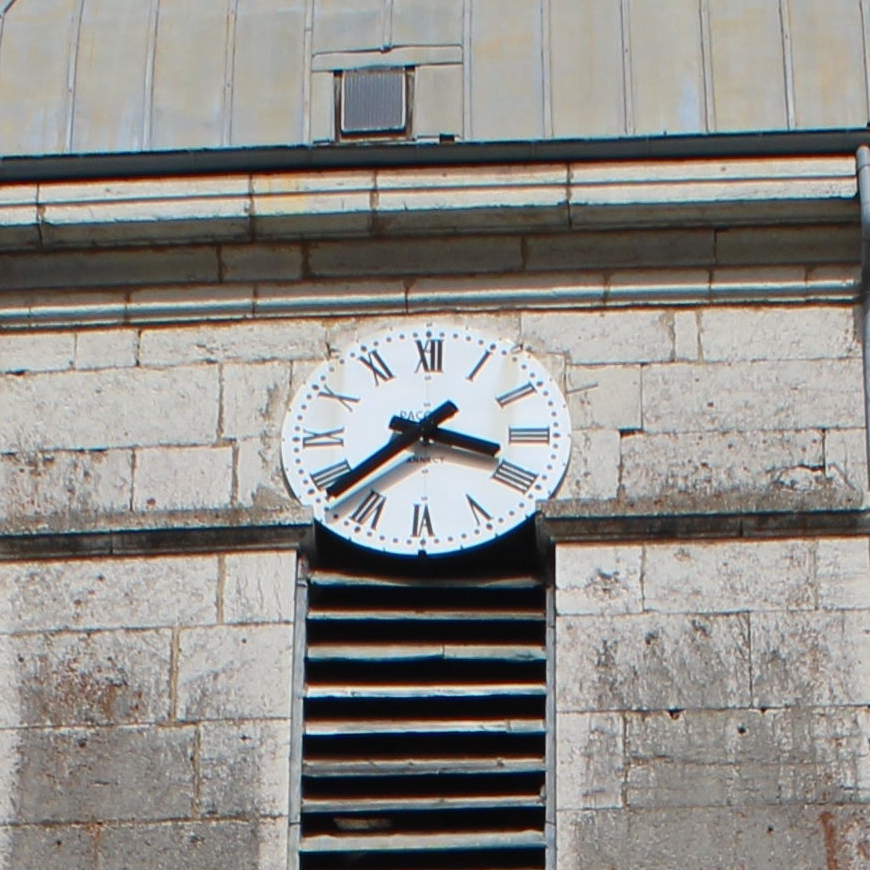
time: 3:38
